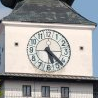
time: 5:22
